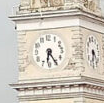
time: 6:25
